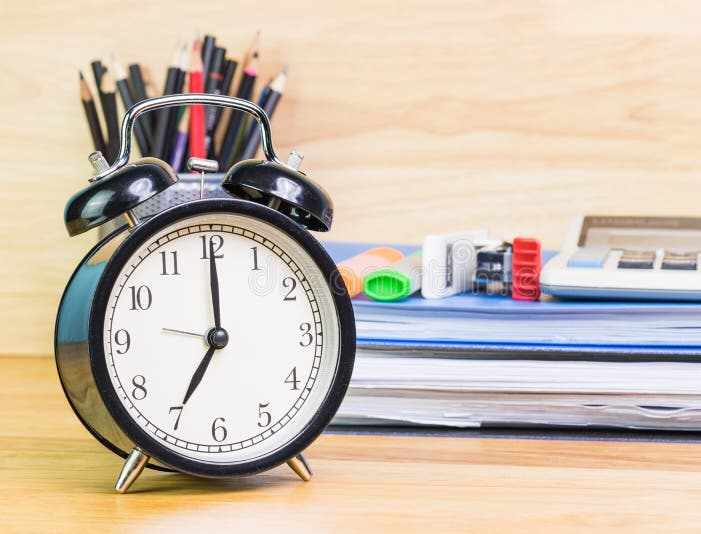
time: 7:00
